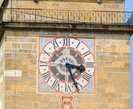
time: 3:26
